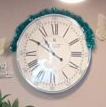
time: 10:49
